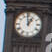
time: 12:59
